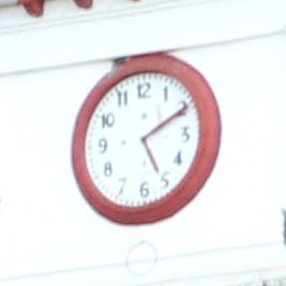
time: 5:10
